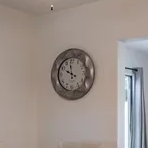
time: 9:57
